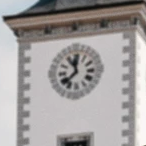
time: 11:37
